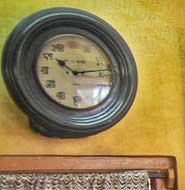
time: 10:13
